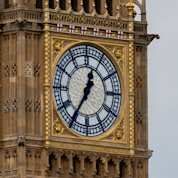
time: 12:35
